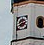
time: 2:40
